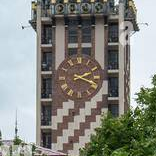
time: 2:18
